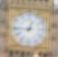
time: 12:44
